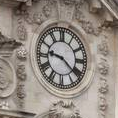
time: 9:21
